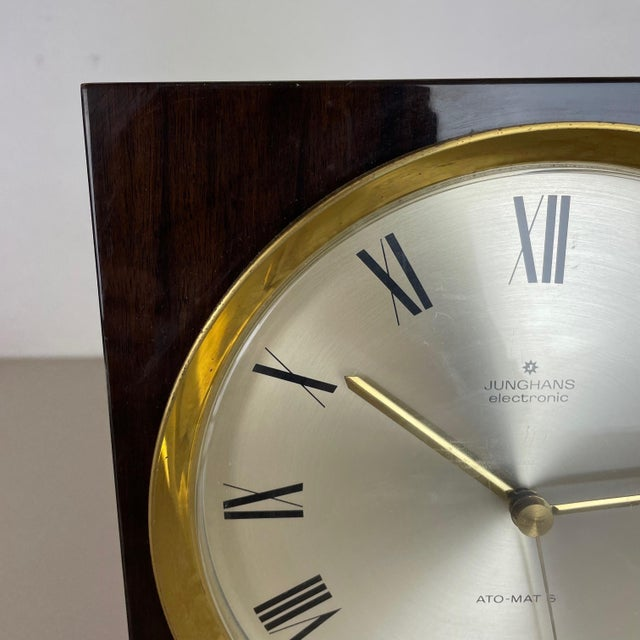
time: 2:50
